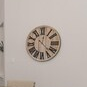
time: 12:22
